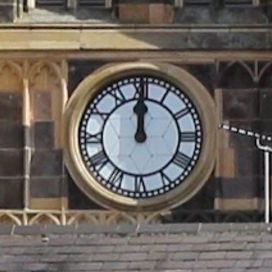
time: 11:59
